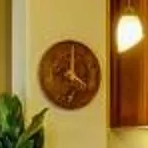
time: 4:00
